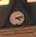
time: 4:12
